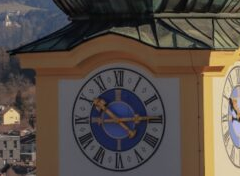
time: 10:14
